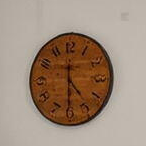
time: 4:30
